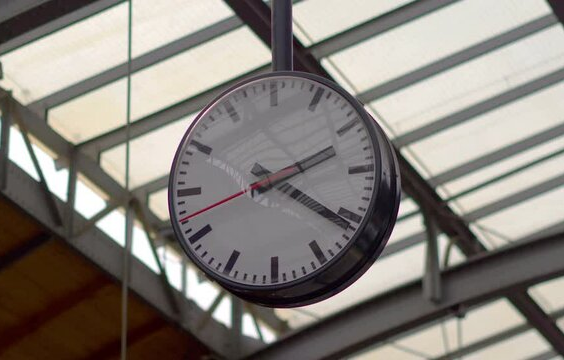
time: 2:20
